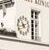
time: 10:42
